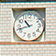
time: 10:42
